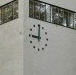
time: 9:00
